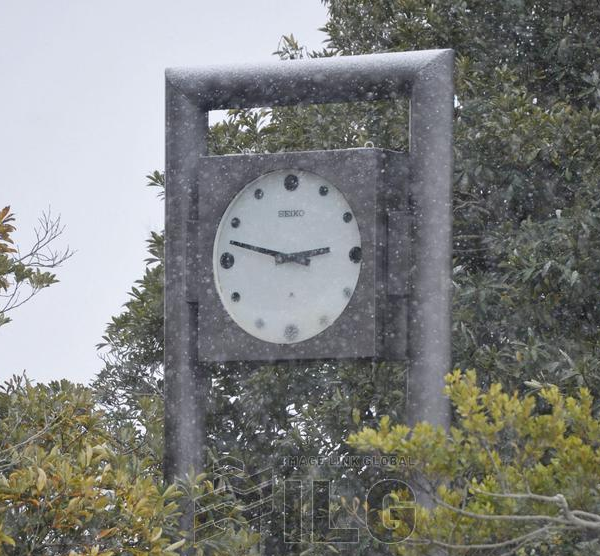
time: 2:47
